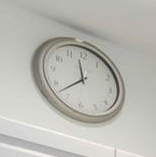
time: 11:37
